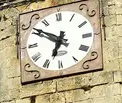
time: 6:50
